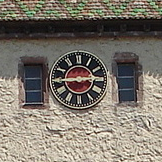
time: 2:44
